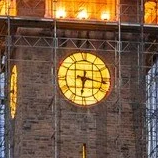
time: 6:16
